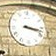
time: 3:17
